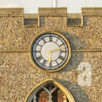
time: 2:29
